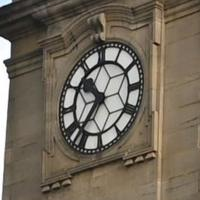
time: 10:36
